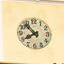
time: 7:52
